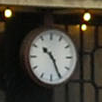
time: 10:25
